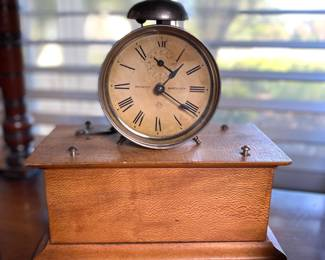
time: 1:21
